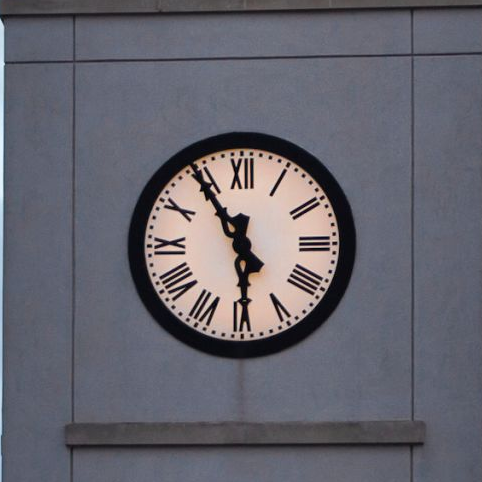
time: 5:54
